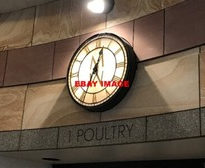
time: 12:33
